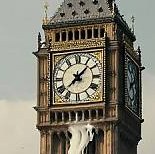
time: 1:37
